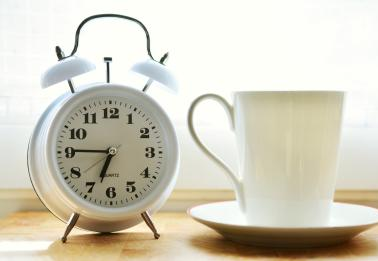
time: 6:45
